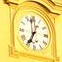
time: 6:58
